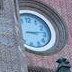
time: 3:13
